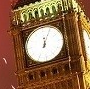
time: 12:04
